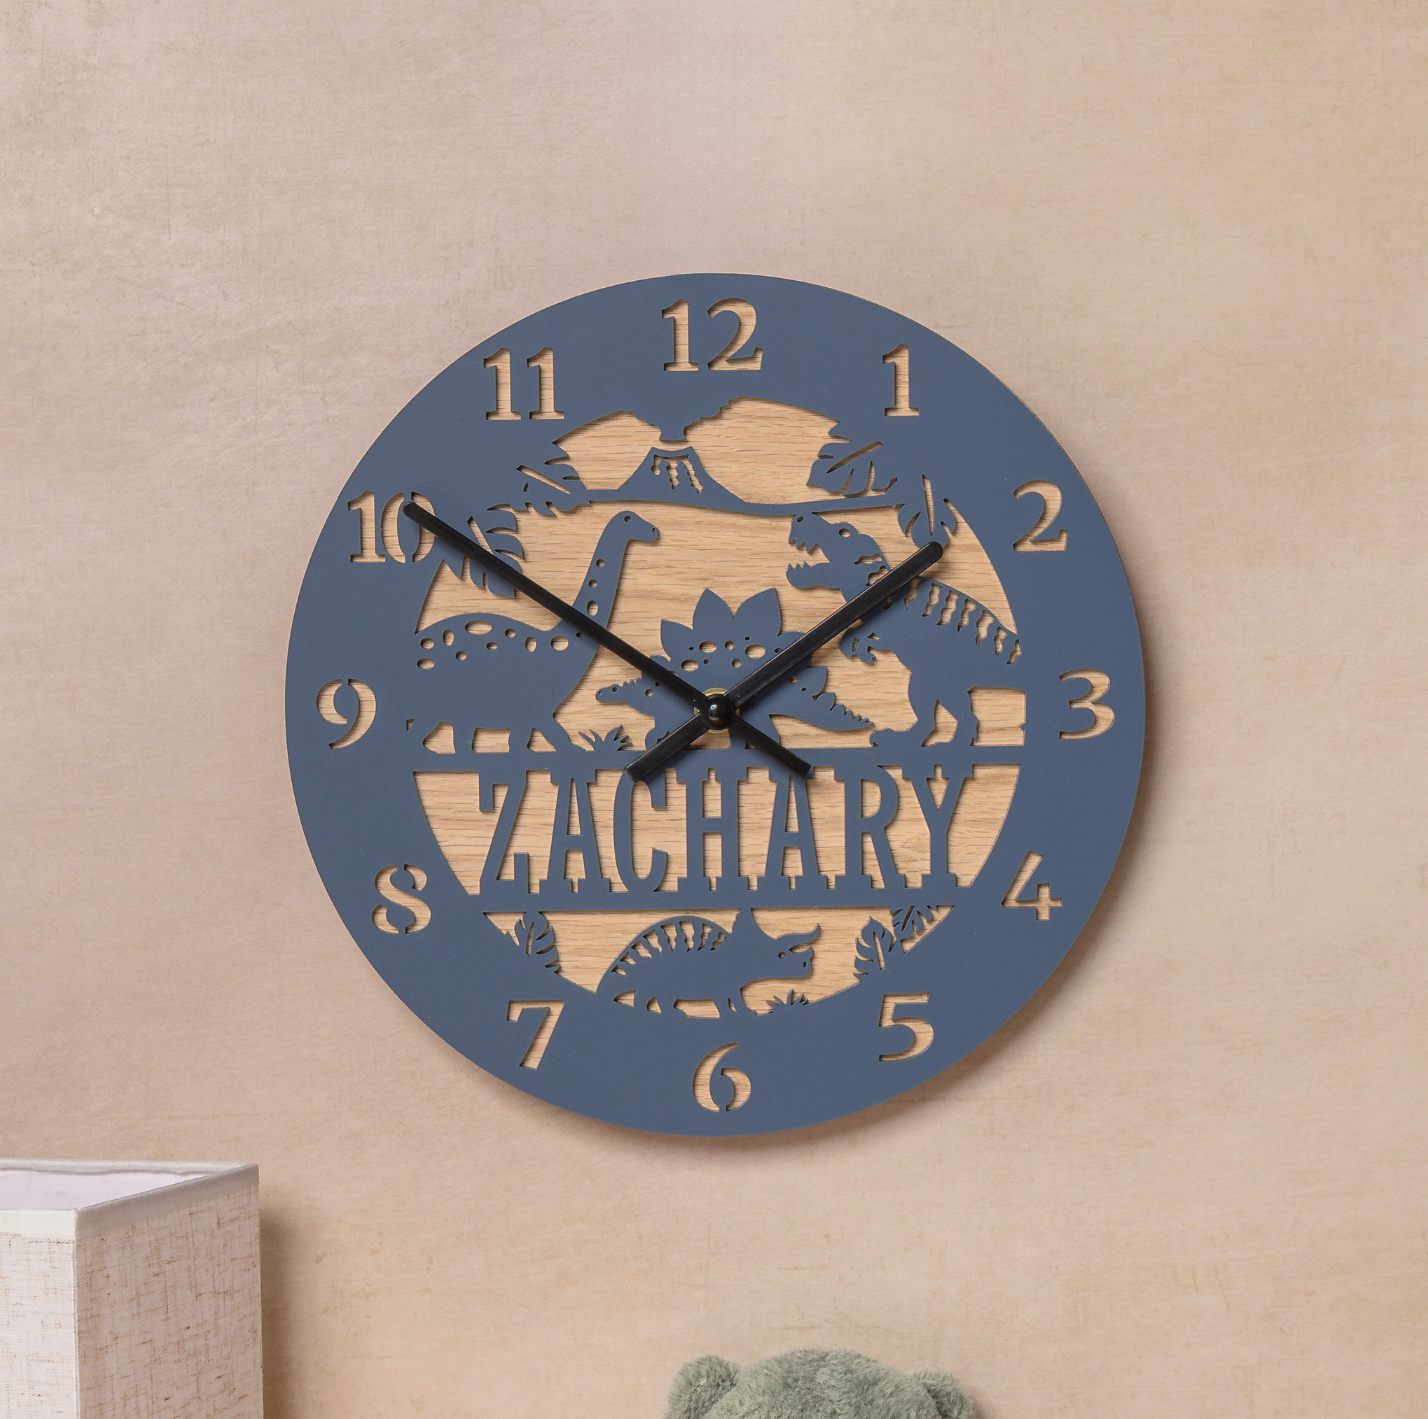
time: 1:50
